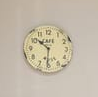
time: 10:31
